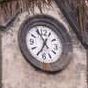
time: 6:55
